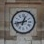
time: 12:42
